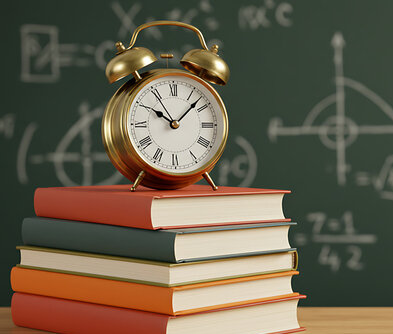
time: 10:07
